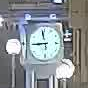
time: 11:45
